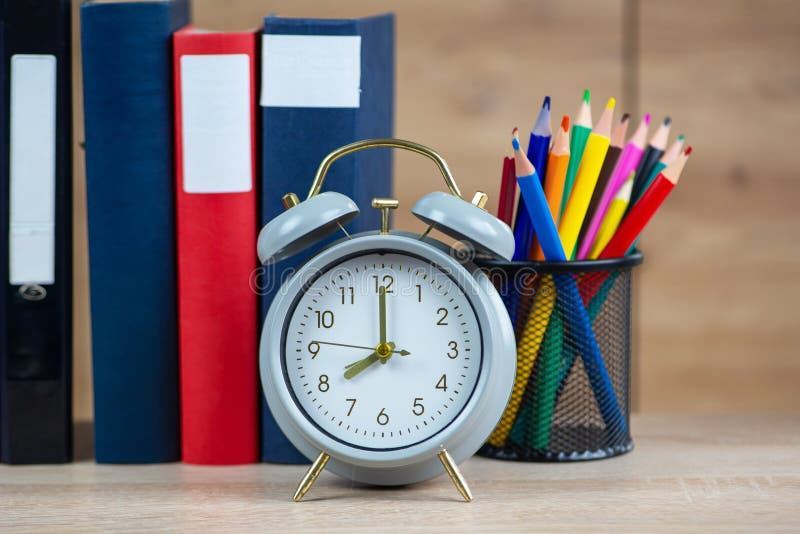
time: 7:59
